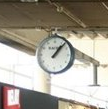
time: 1:07
